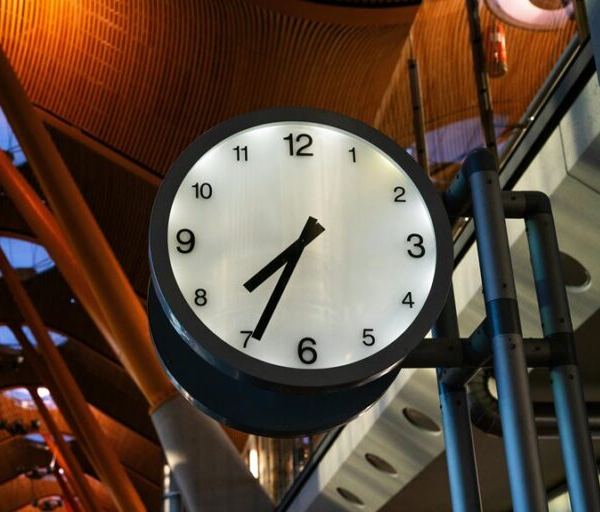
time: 7:34
